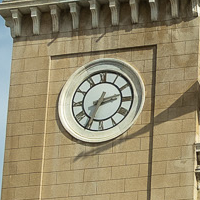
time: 2:34
